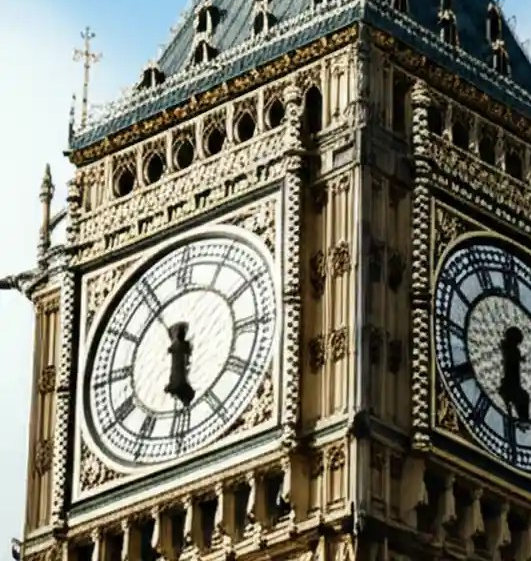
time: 6:29
